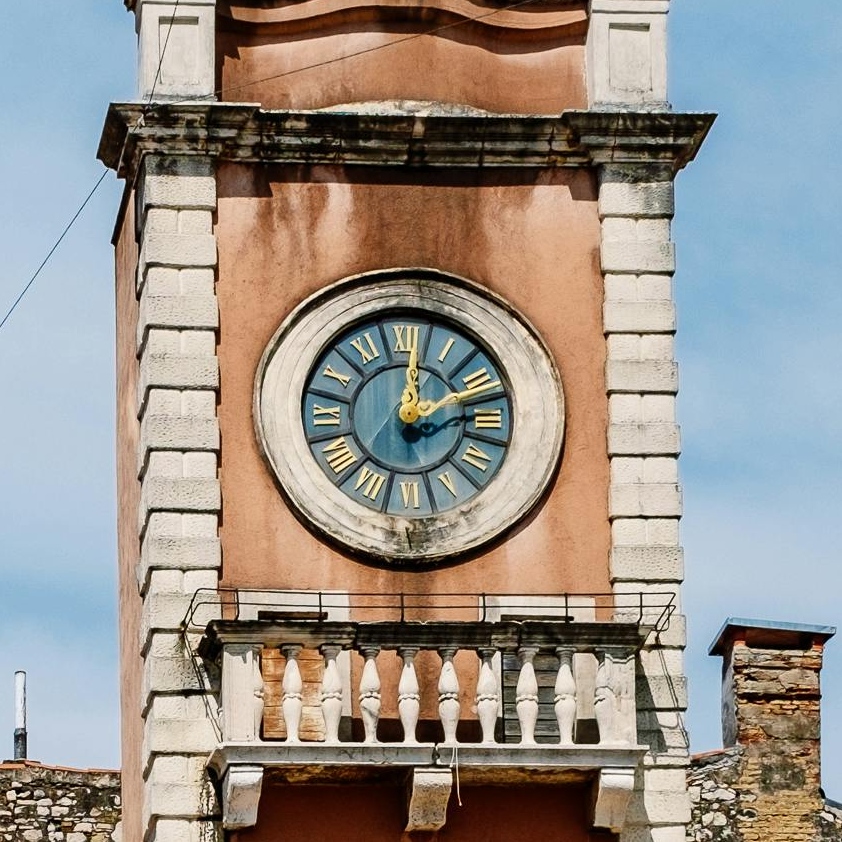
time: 12:12
